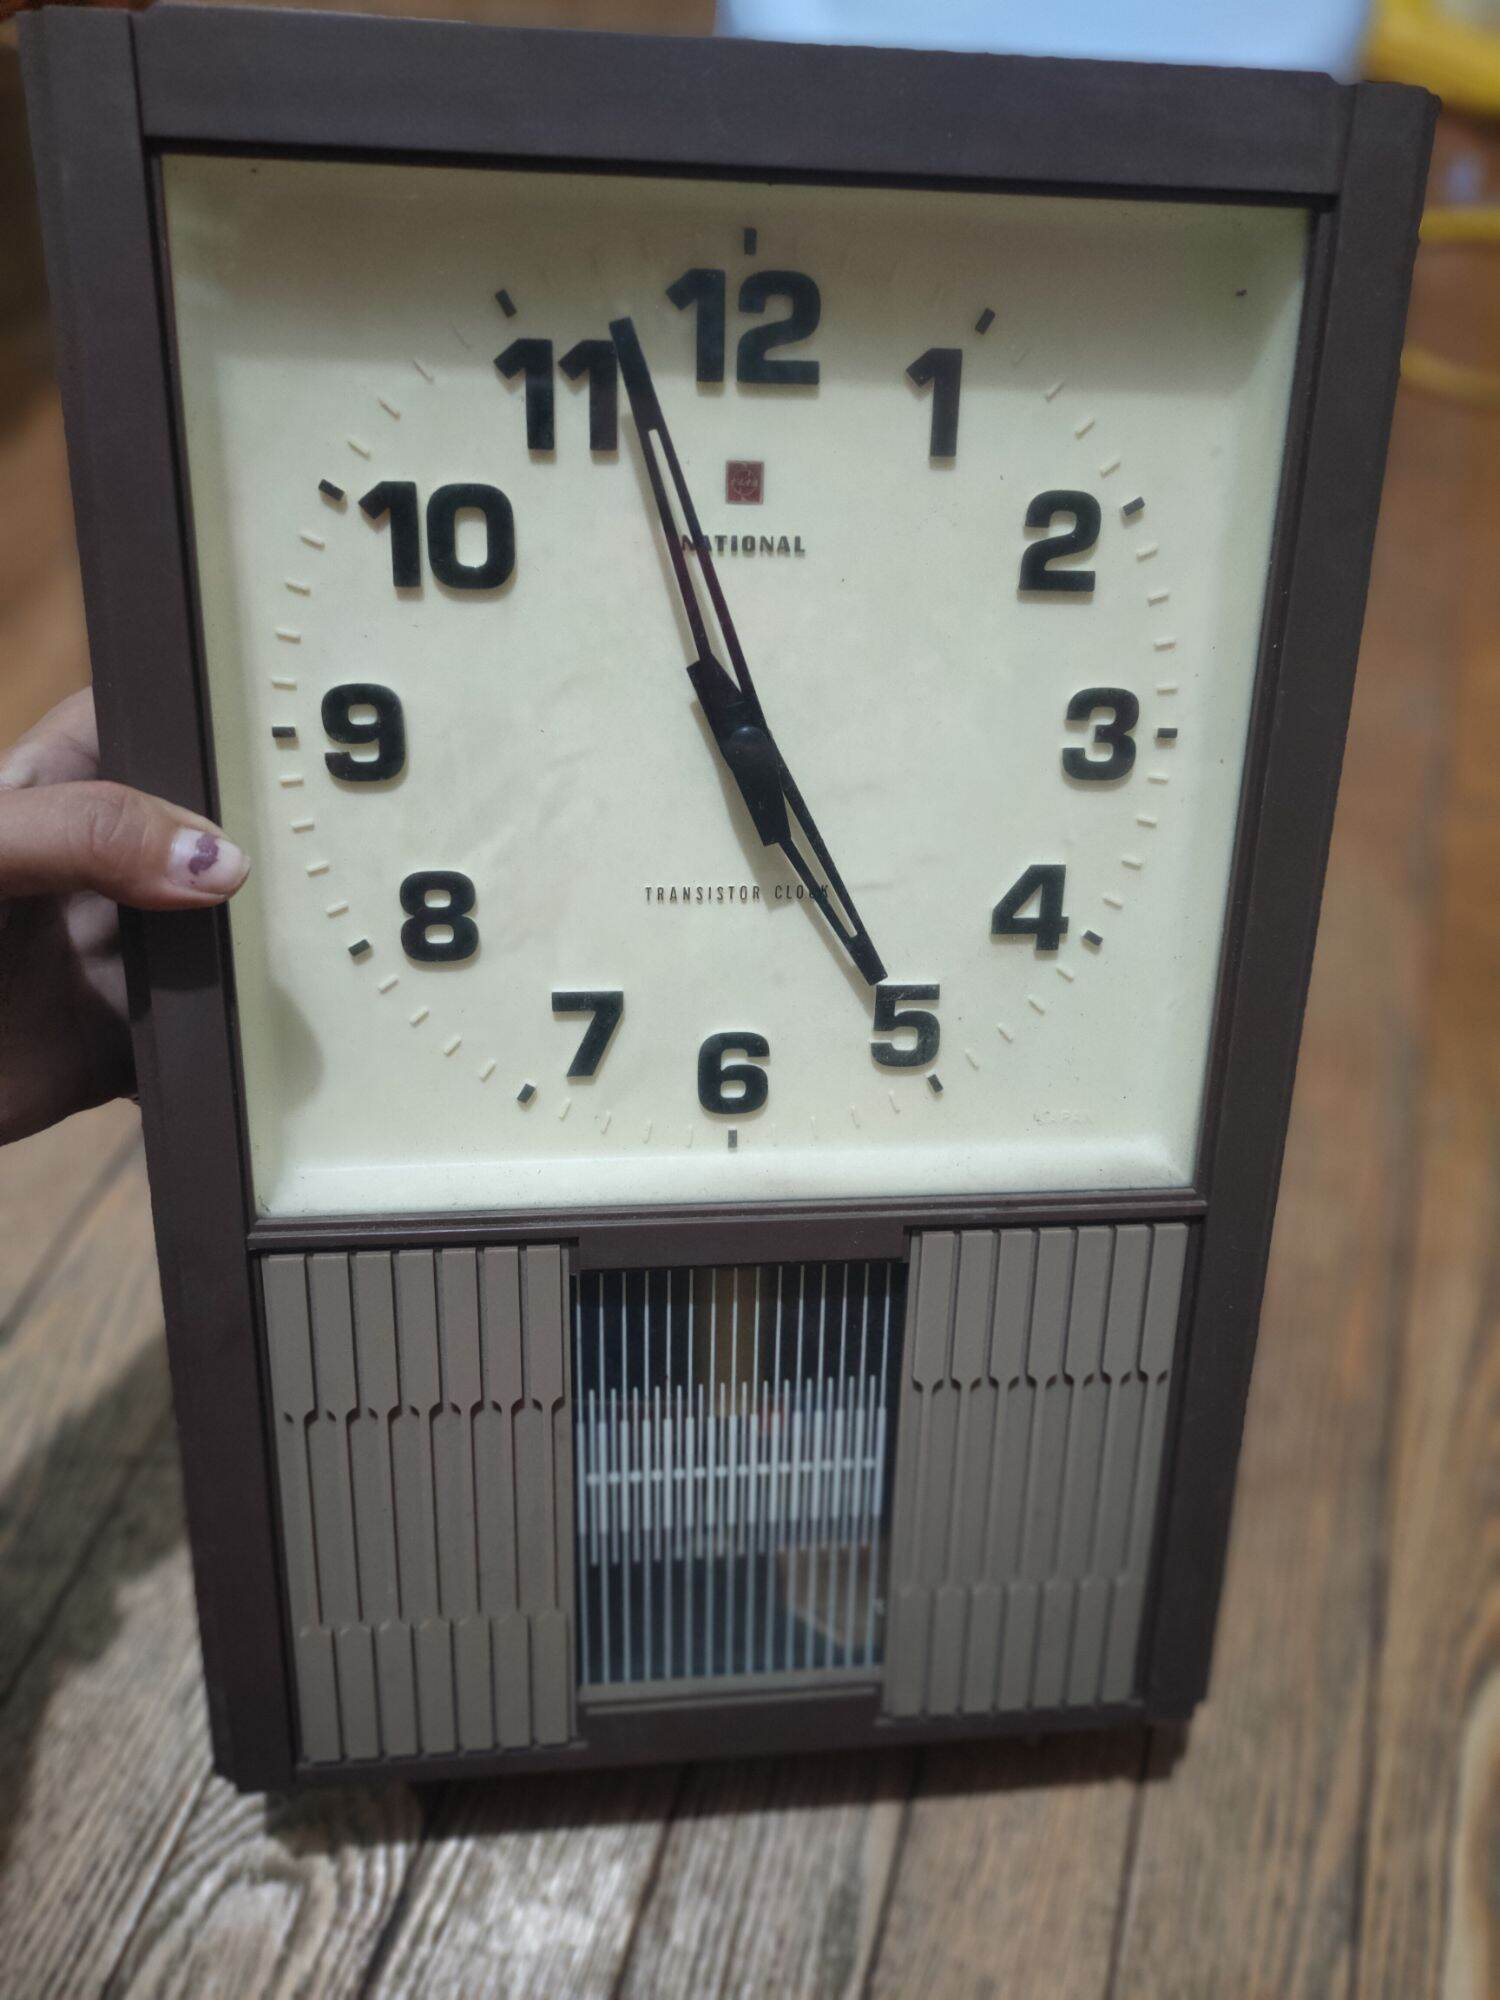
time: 4:57
